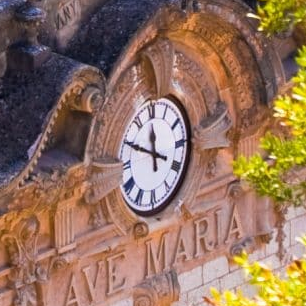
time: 11:49
